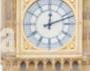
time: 12:11
